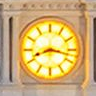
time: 8:17
